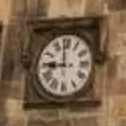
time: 8:58
